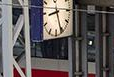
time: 8:25
